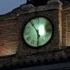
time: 5:54
